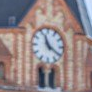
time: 11:20
